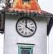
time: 4:00
